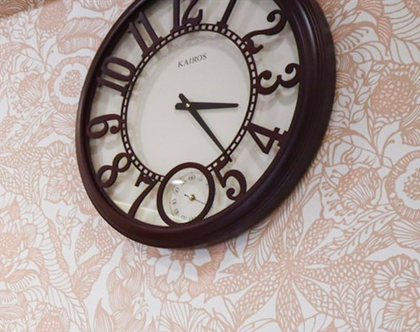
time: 3:23
